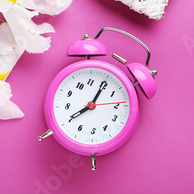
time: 8:05
